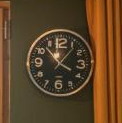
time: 3:52
